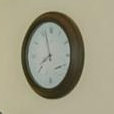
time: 7:57
